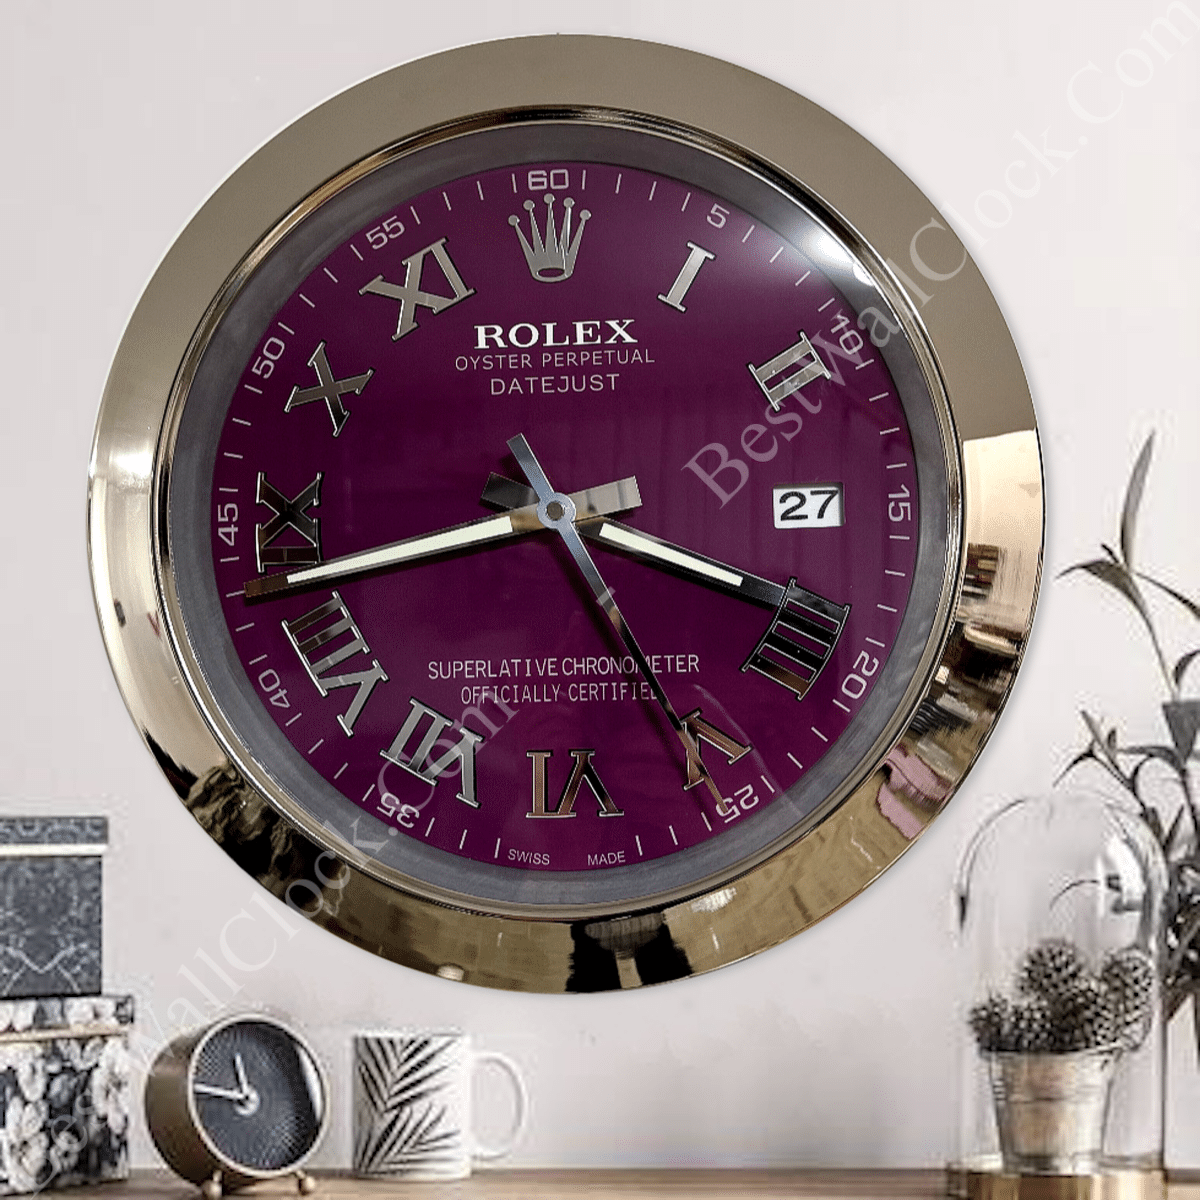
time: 3:42
